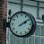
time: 2:09
